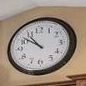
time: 10:51
